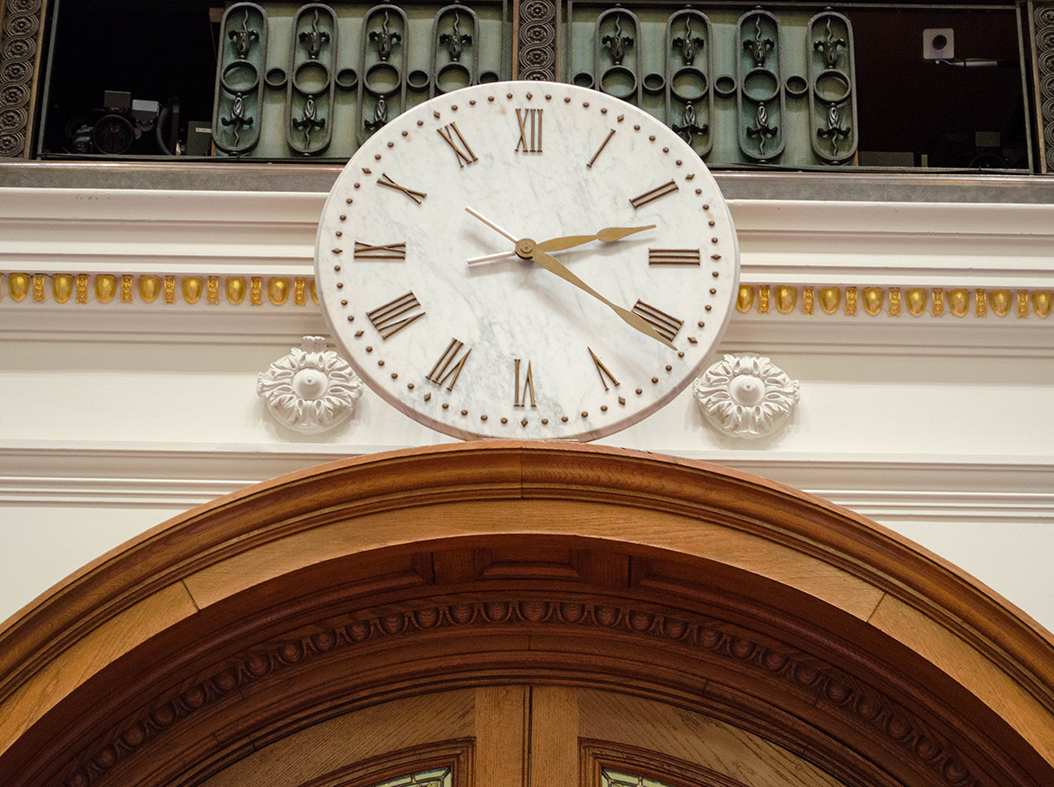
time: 2:20
